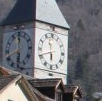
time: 5:41
